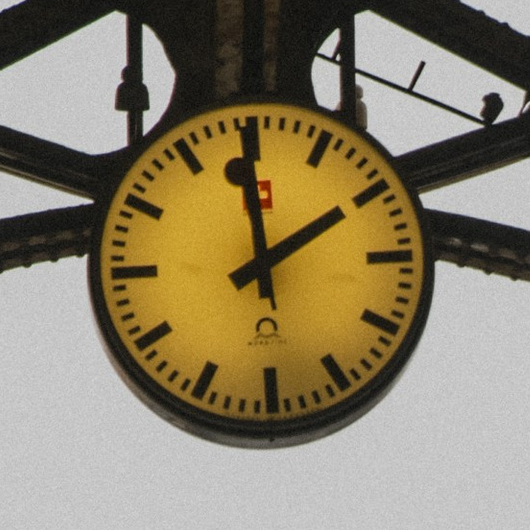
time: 1:59
